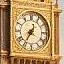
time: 12:35
